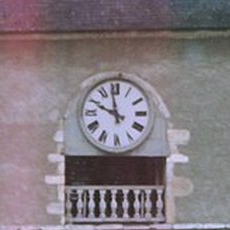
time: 9:58
